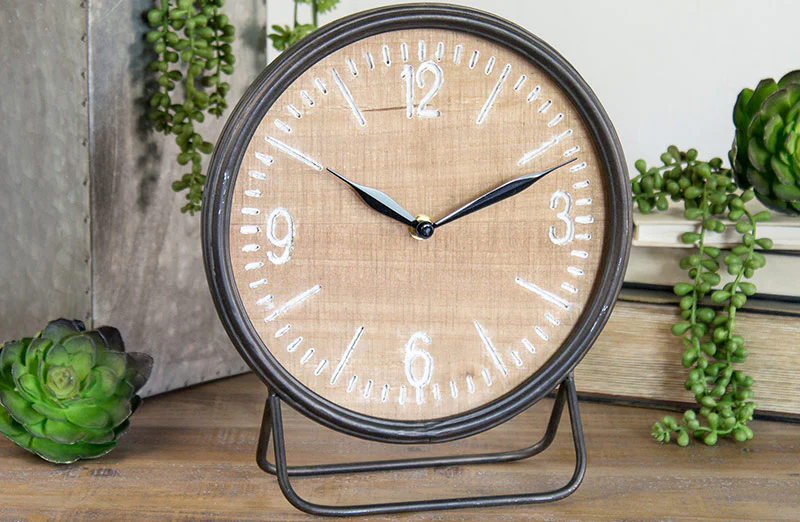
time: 10:11
